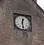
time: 12:28
